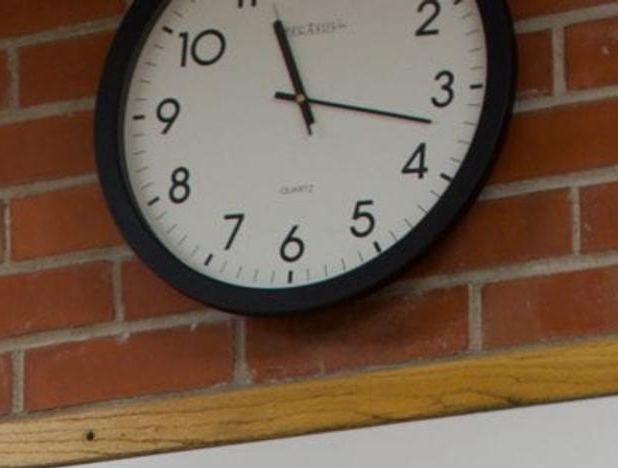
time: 11:17
